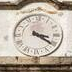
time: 3:20
